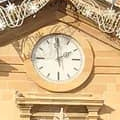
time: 2:00
